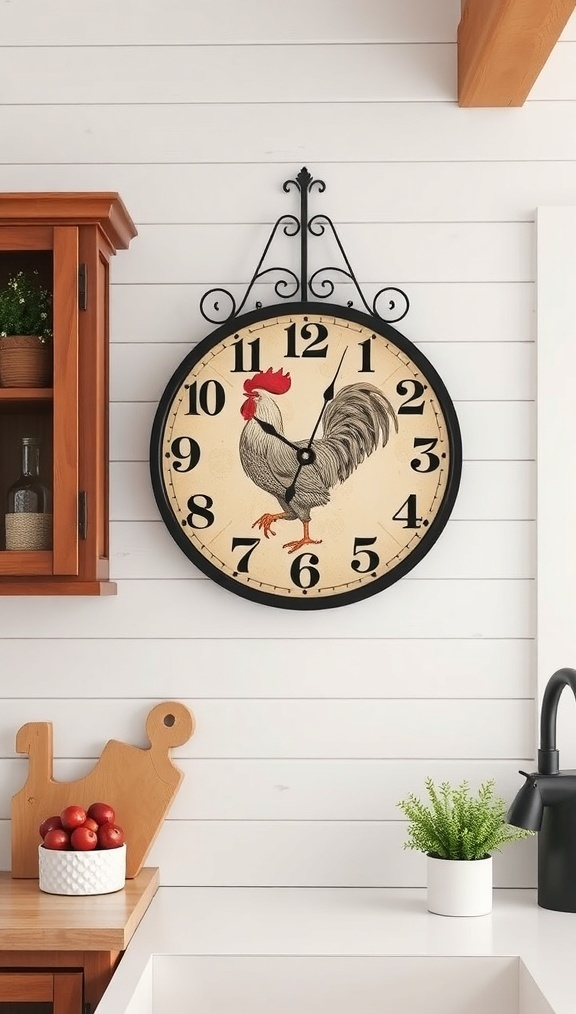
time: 10:03
